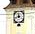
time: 11:42
